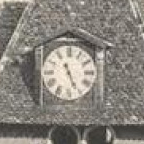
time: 11:26
